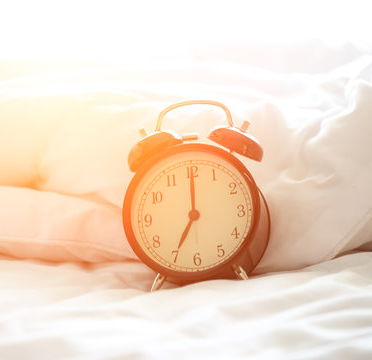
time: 7:00
